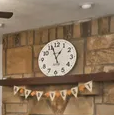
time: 12:56
